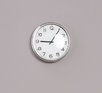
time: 9:05
